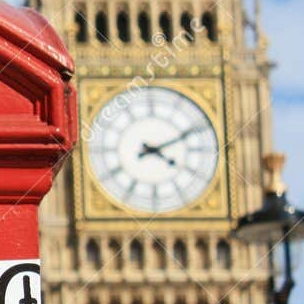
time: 4:10
